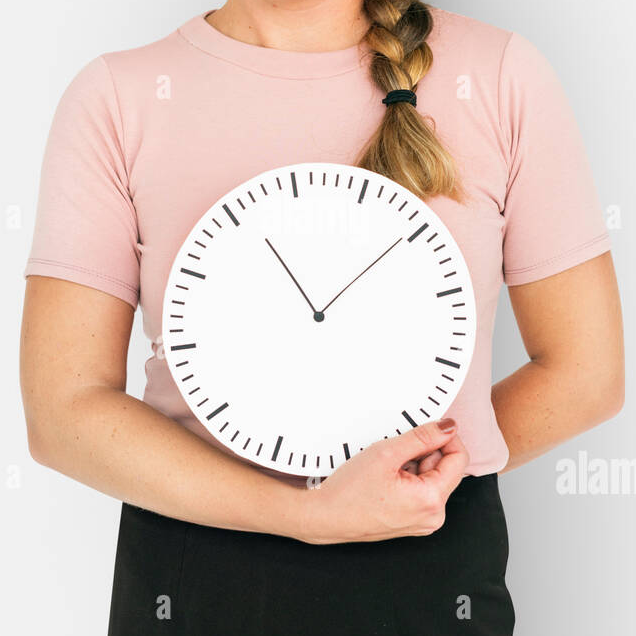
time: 11:09
